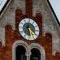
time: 12:28
